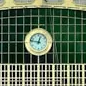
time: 12:46
